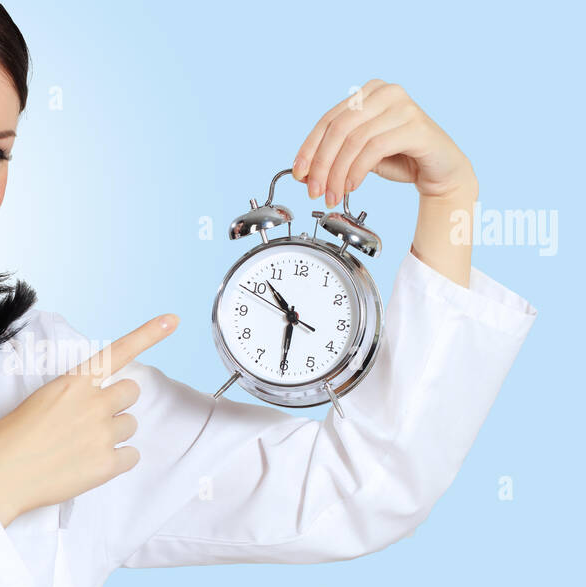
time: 10:30
